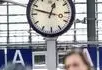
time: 12:47
